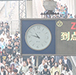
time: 10:47
